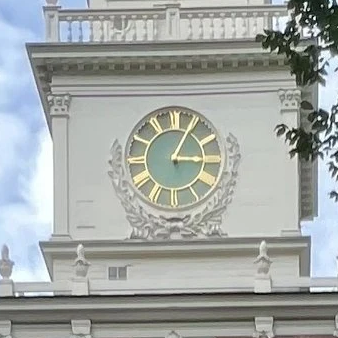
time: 3:04
